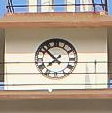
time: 7:52
